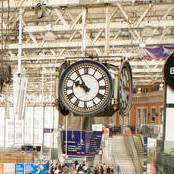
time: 9:54
